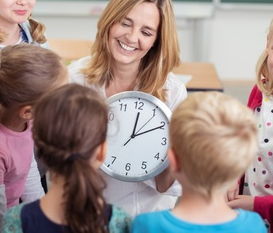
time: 12:10
